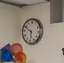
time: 5:49
